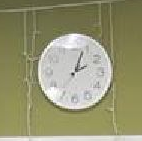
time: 2:03
